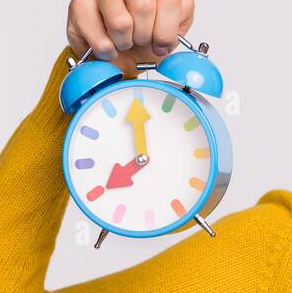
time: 7:59
